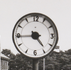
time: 4:44
